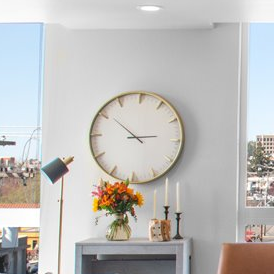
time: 2:50
